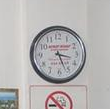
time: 3:26
